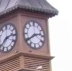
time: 2:39
